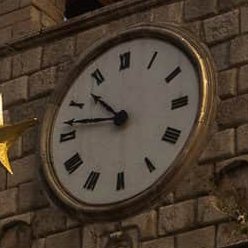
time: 10:46
